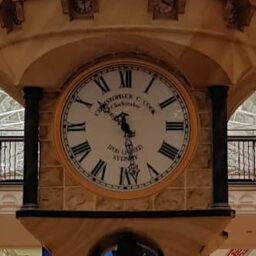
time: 10:28
